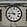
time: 10:45
